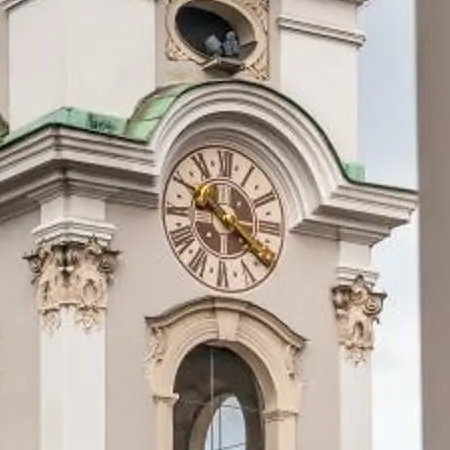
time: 9:20
